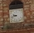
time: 9:42
